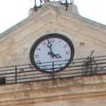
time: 3:57
